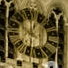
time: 12:32
